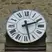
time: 2:27
